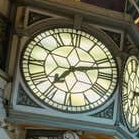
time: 7:12
